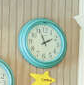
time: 1:56
